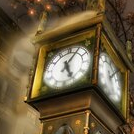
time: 5:05
